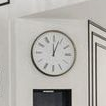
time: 12:03
